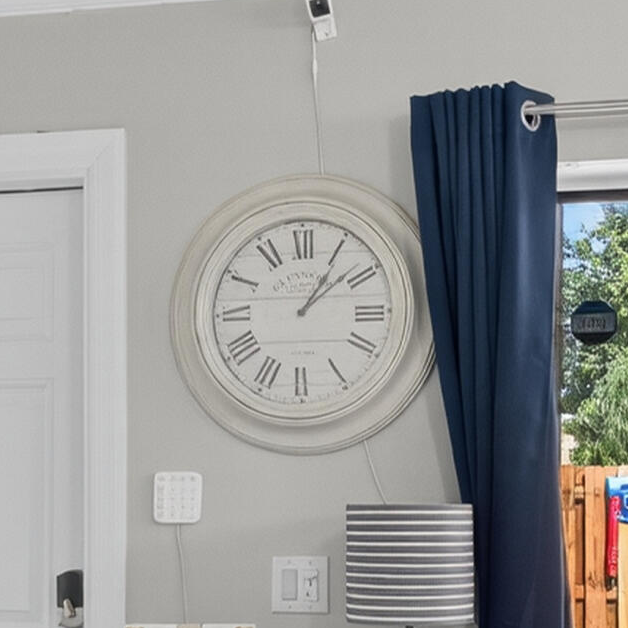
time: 1:08
